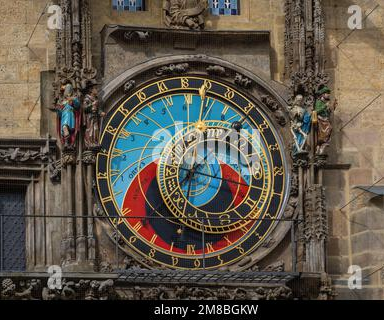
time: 7:00
